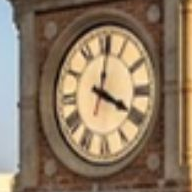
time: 4:01
